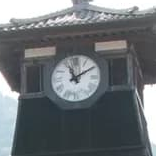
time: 11:09
